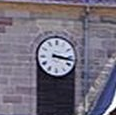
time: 3:16
